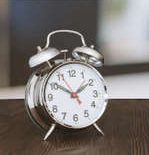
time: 1:50
